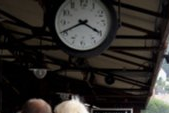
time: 3:40
